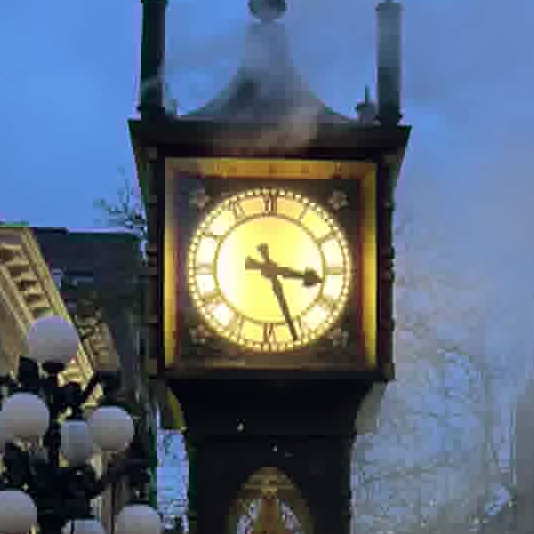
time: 3:26
